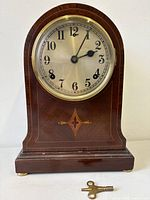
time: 2:04
